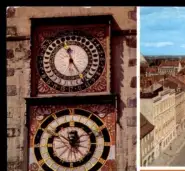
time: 11:24
